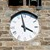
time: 3:58
